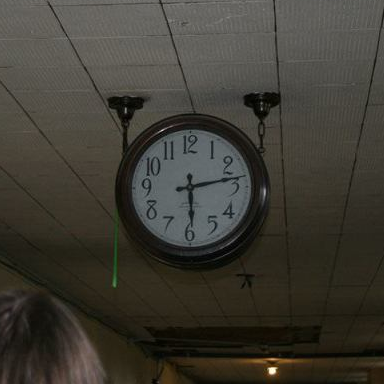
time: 2:29
